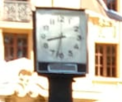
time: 8:32
